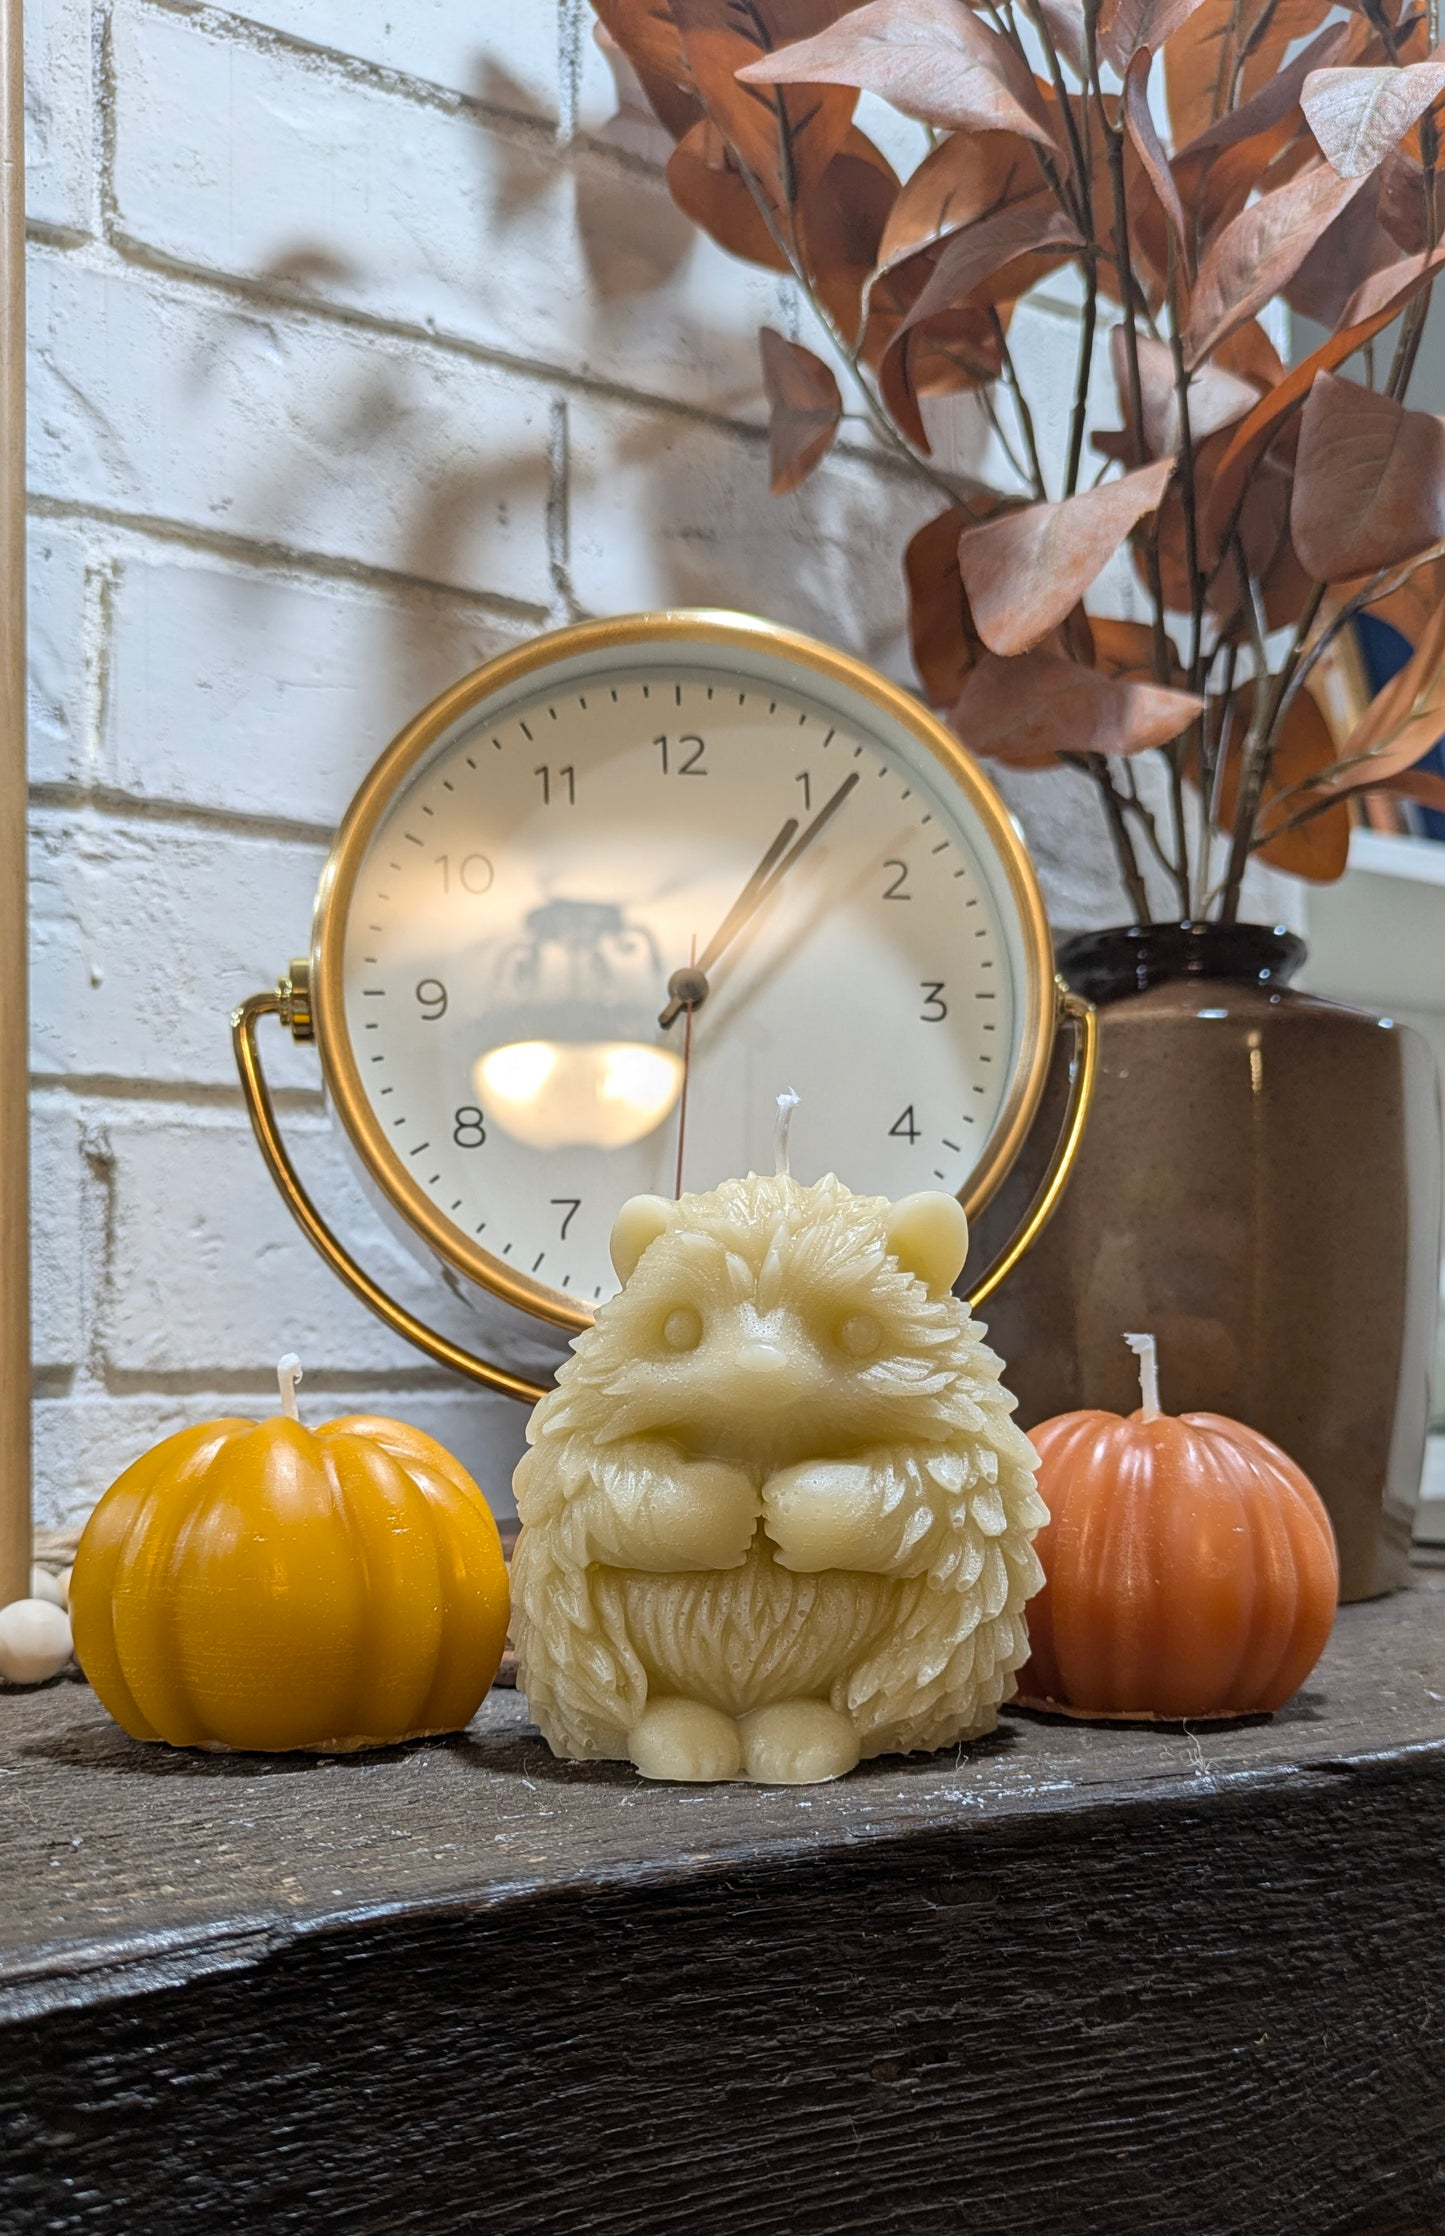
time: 1:06
